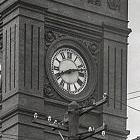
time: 8:12
